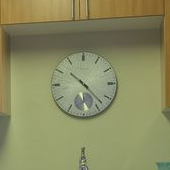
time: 10:22
